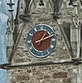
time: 1:11
